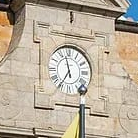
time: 11:35
